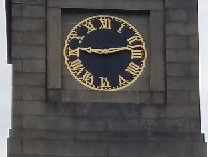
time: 9:12
